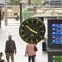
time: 3:51
